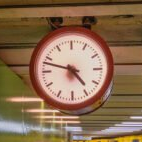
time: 4:47
